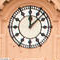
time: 12:07
